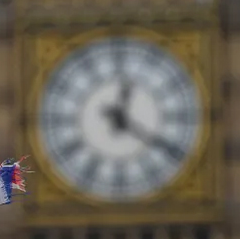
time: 12:21
